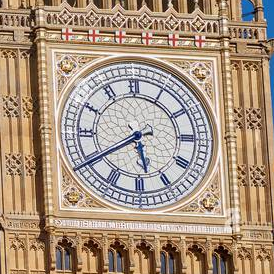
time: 5:39
